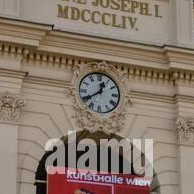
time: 12:40
